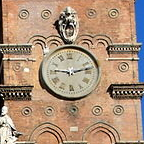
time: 9:12
